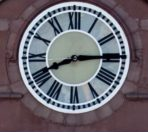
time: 8:14
